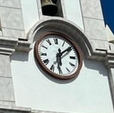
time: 6:09
